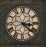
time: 3:21
